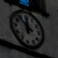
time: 11:53
